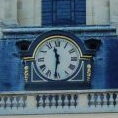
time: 11:31
